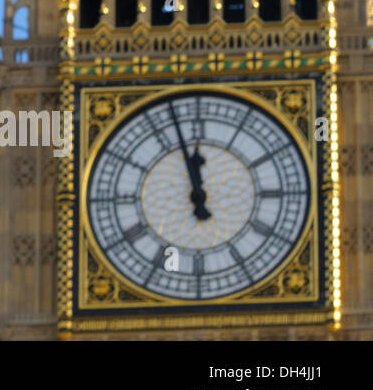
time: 11:57
